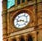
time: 9:20
